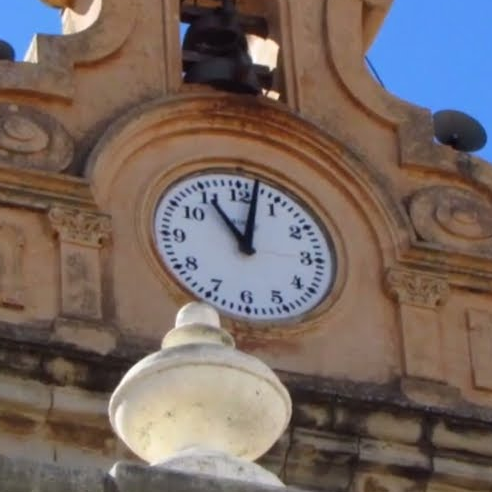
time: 11:02
